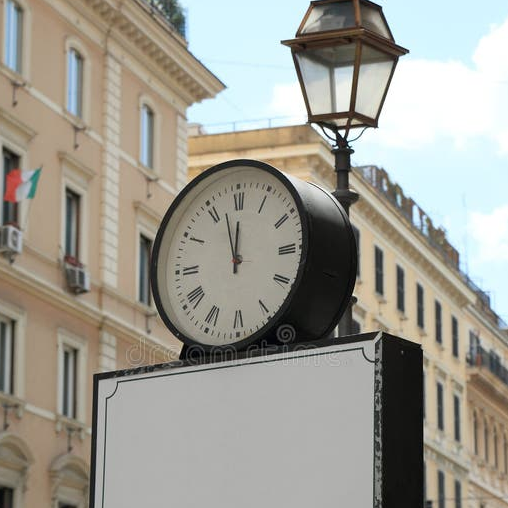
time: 11:57
